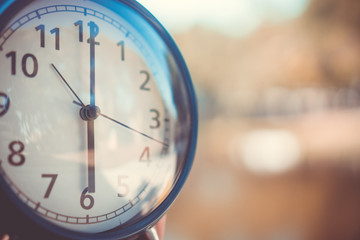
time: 6:00
